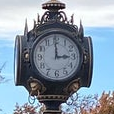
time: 2:59
